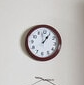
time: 12:58
